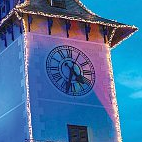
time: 4:33
